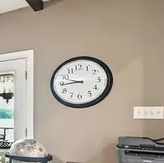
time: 9:44
